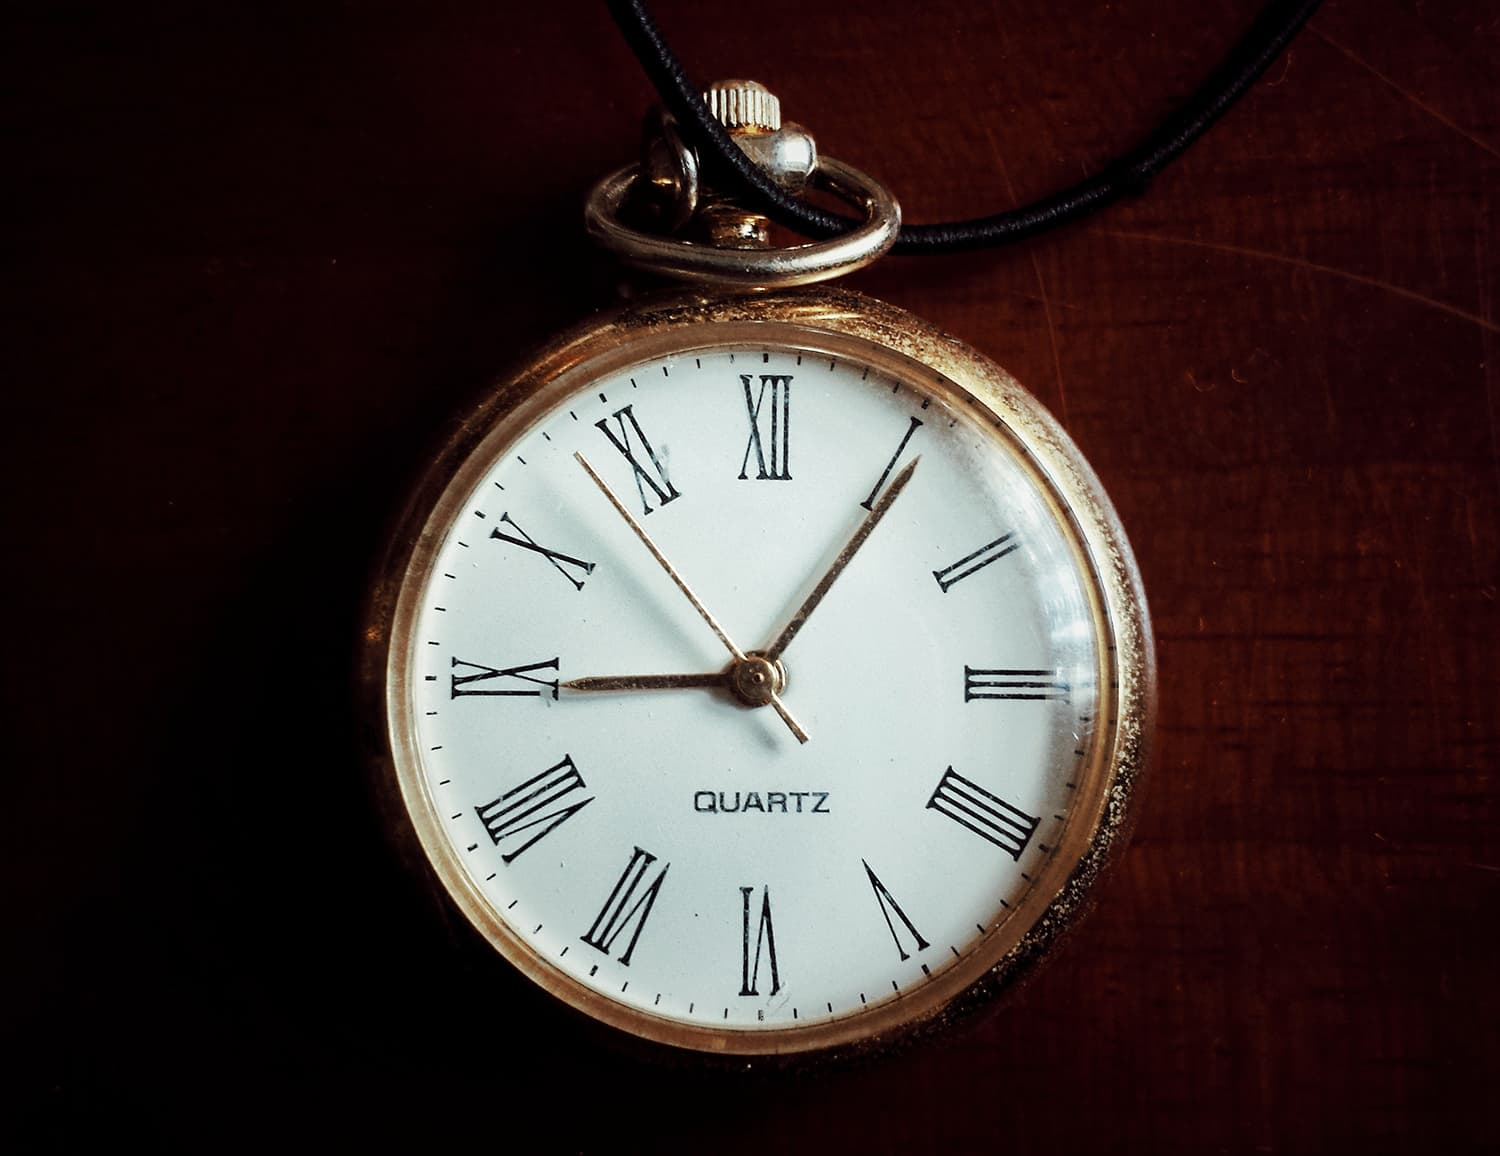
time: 9:05
